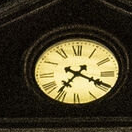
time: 7:19
